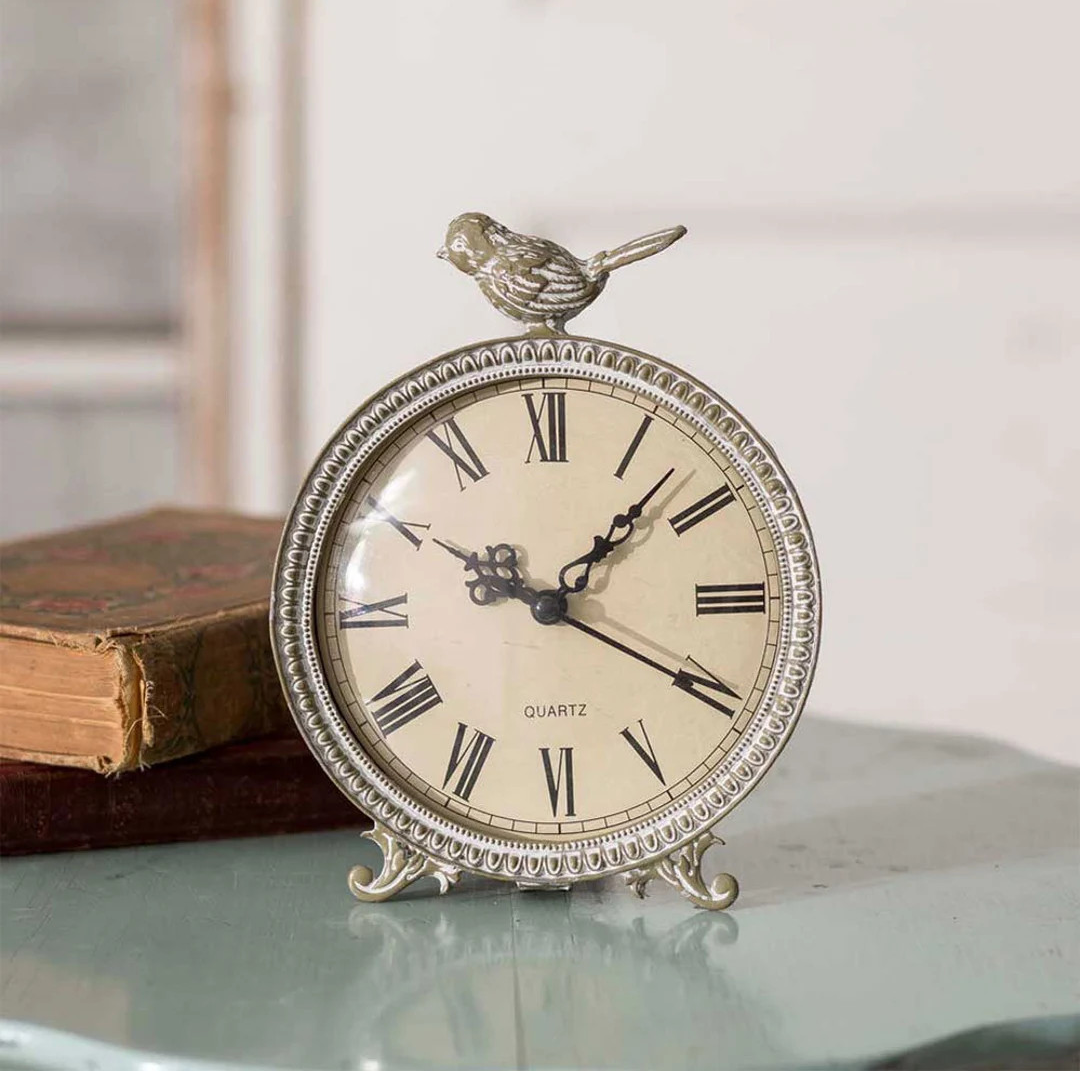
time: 1:19
